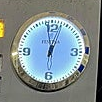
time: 12:03
